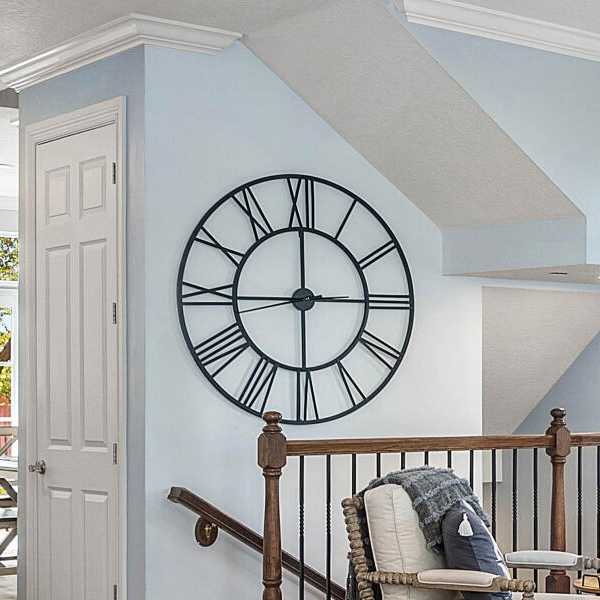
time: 2:59
